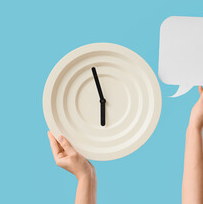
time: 5:57
